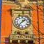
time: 1:37
